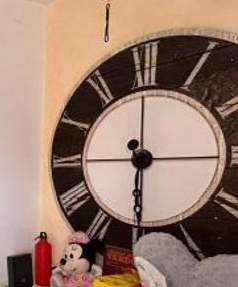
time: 6:15
